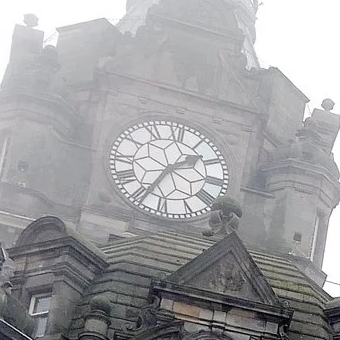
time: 1:34
